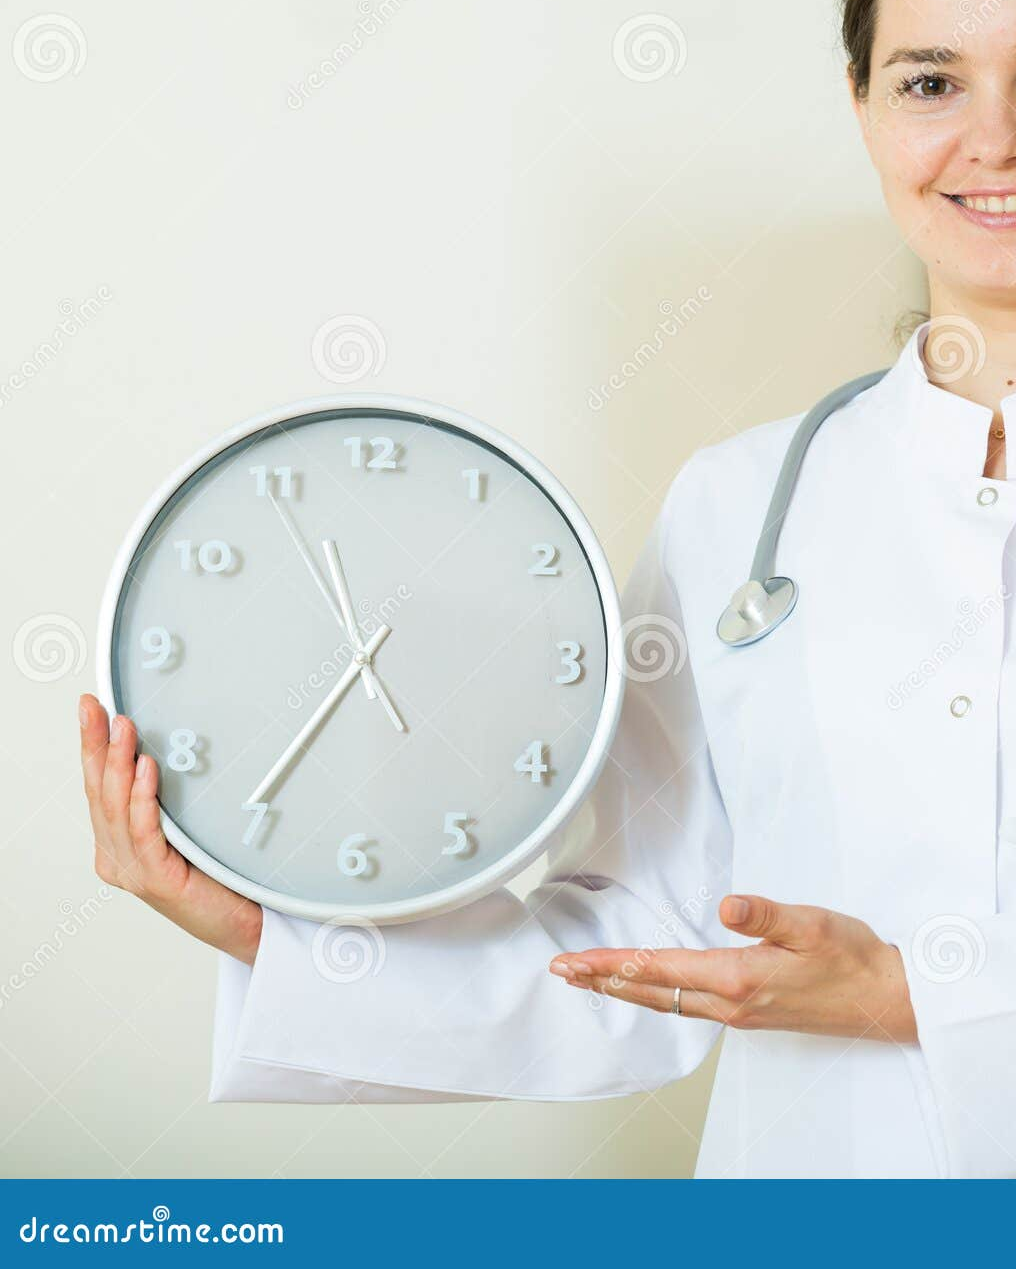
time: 11:35
